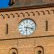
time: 6:17
